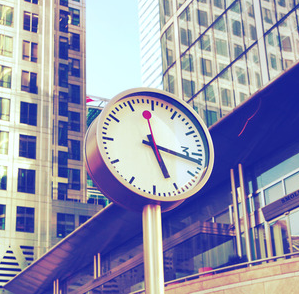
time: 5:16
